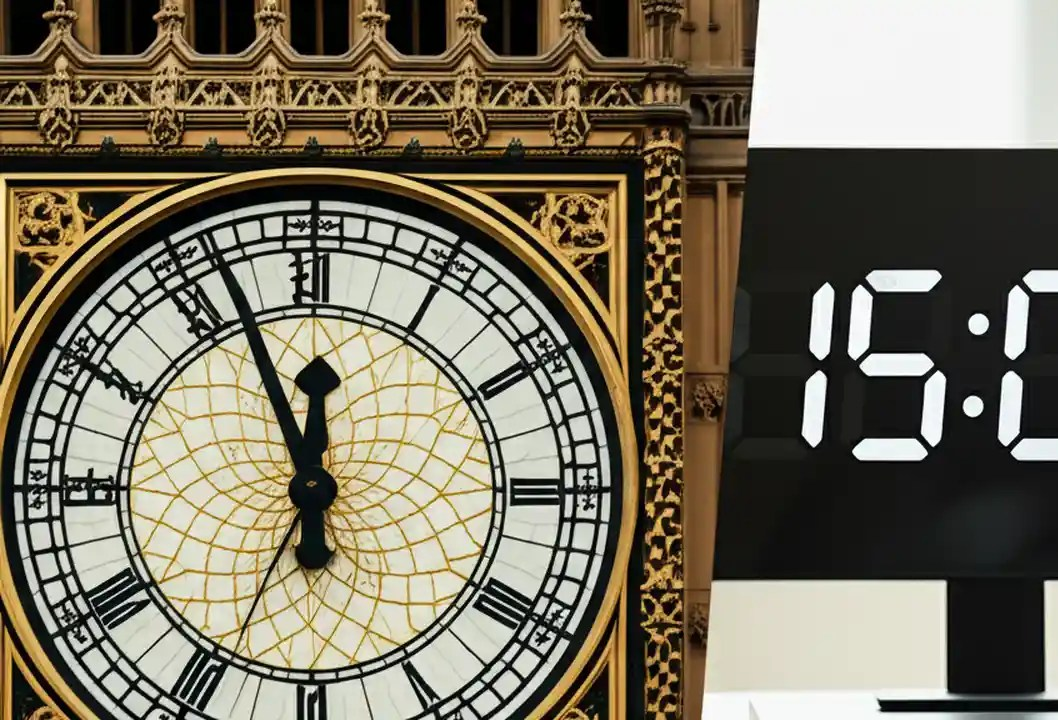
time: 11:56
